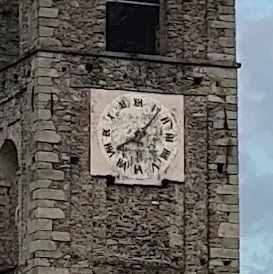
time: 8:06
